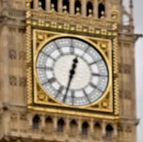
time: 12:32
